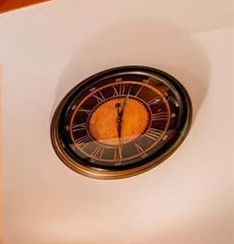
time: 12:02
